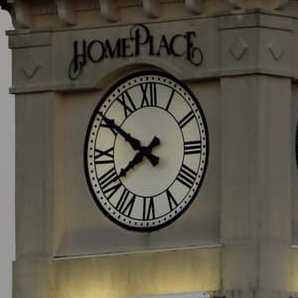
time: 7:50
